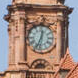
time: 12:33
